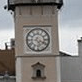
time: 5:18
